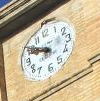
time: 9:50
